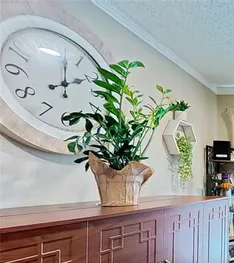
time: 2:01
